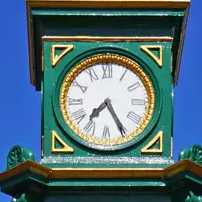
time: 7:24
